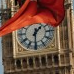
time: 1:30
